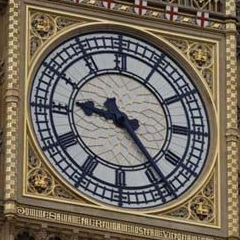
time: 9:23
